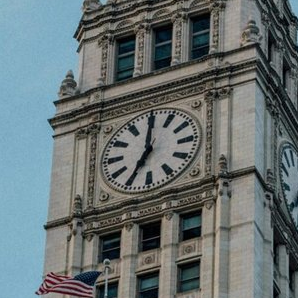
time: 7:00
